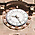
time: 9:25
